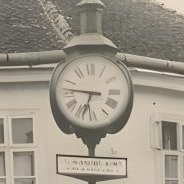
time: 6:46
